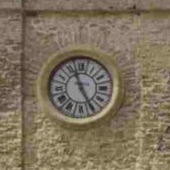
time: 4:56
